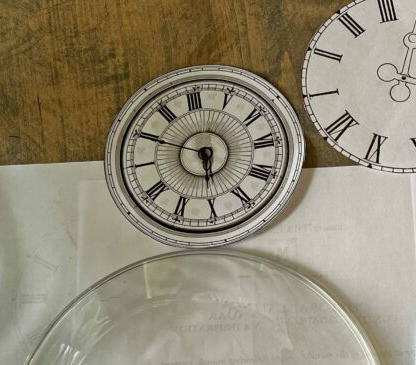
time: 5:49
